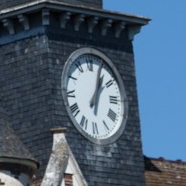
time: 1:03
